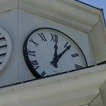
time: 12:06
